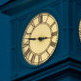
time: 9:16
